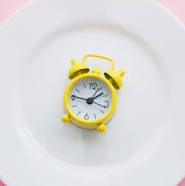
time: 1:46
